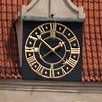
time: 1:51
